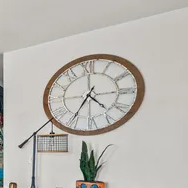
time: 4:35
